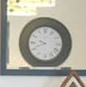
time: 9:41
